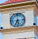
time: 5:34
